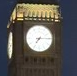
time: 7:14
